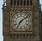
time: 7:08
